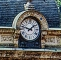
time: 1:47
